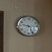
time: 9:25
